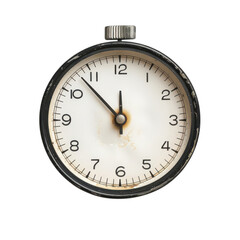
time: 11:52
